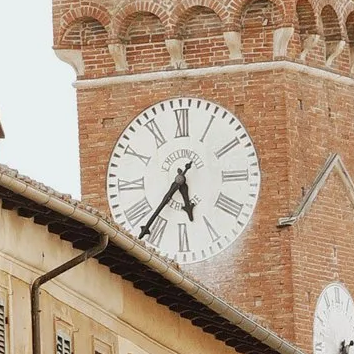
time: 5:36
